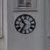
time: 10:35
